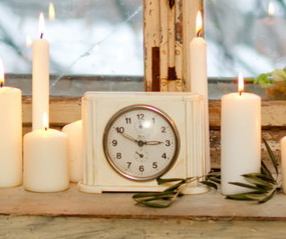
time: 2:49
